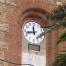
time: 11:43
